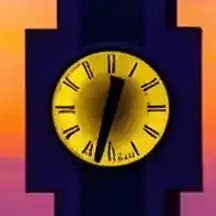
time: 12:32
